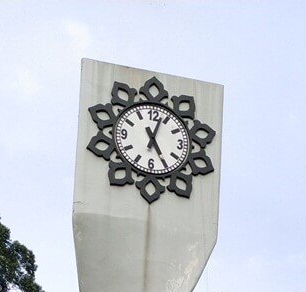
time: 5:03
